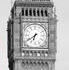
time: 6:39
